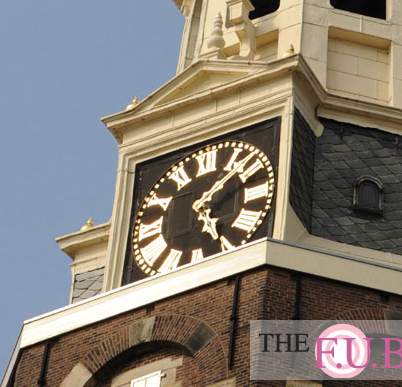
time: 5:08
